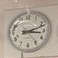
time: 3:11
